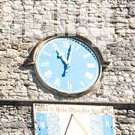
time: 11:02
